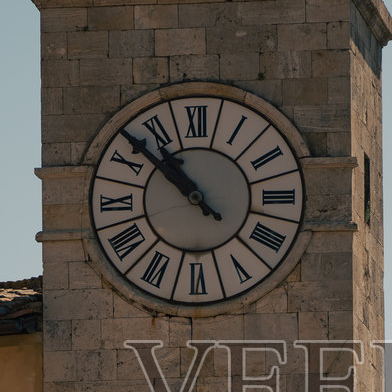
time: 10:52
